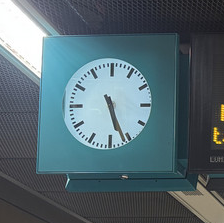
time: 5:26
